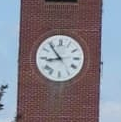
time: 8:53
